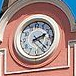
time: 2:22
